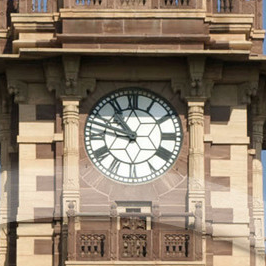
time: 10:47
